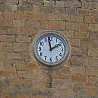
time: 1:58
